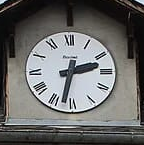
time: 2:32
